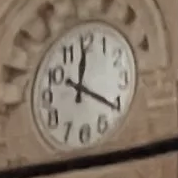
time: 12:20
